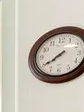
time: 7:39
